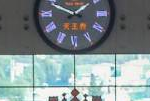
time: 1:49
